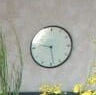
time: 9:28
